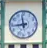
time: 11:43
